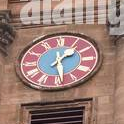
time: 1:28
